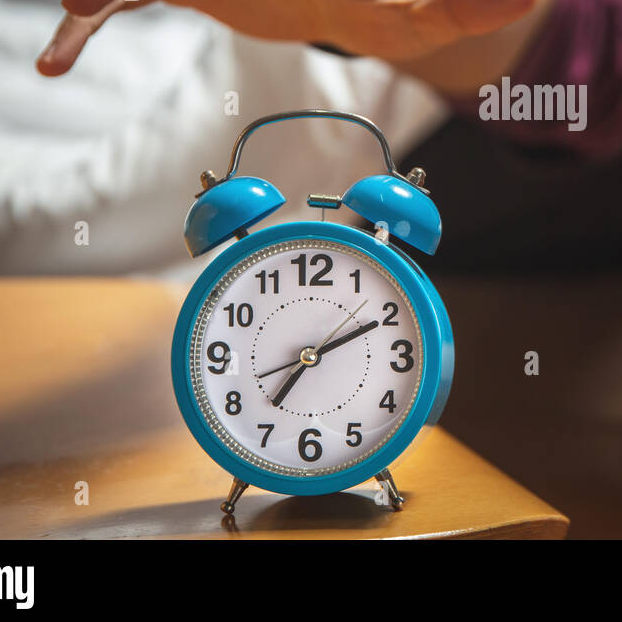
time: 7:10
